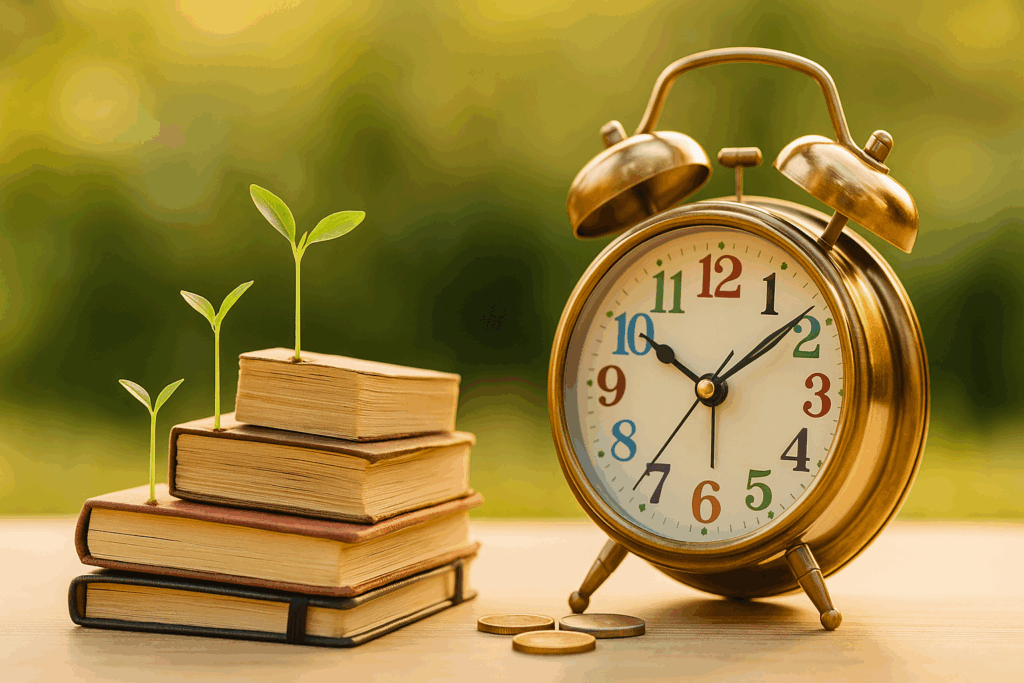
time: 10:08
